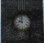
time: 9:59
